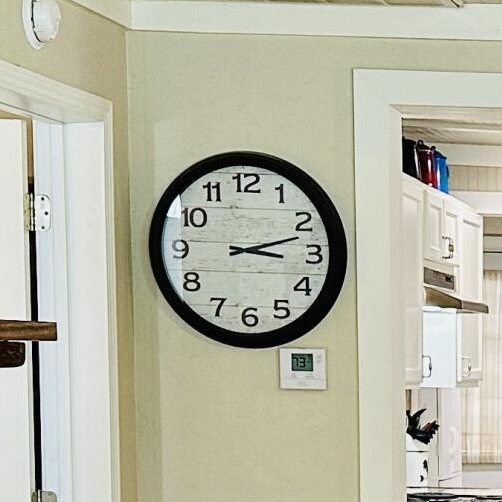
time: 3:12
